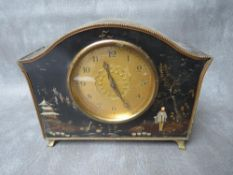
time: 11:24
